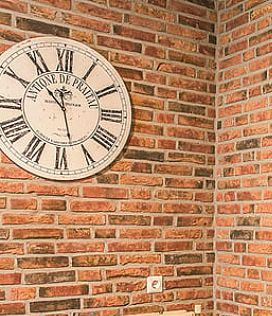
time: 10:27
